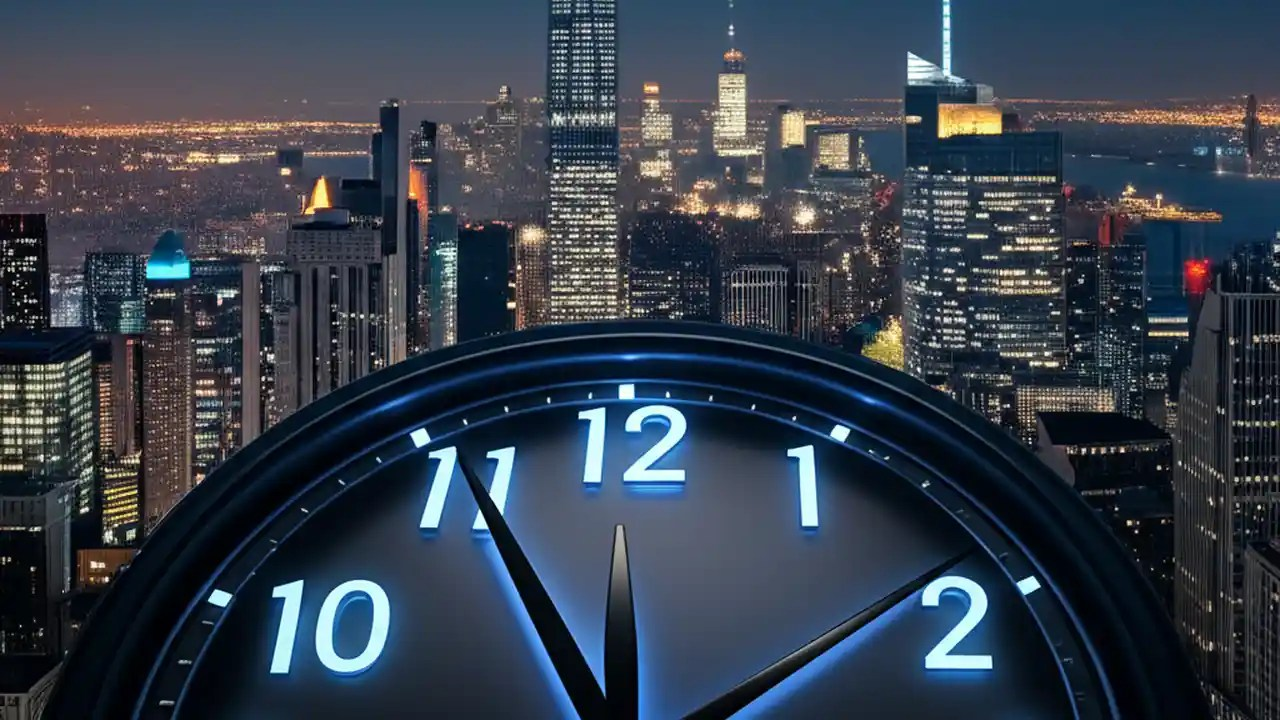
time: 11:55
